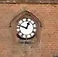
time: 12:47
